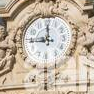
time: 11:44
